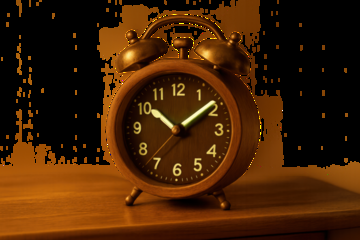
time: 10:08
